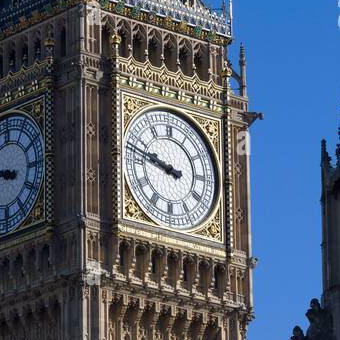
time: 9:47
